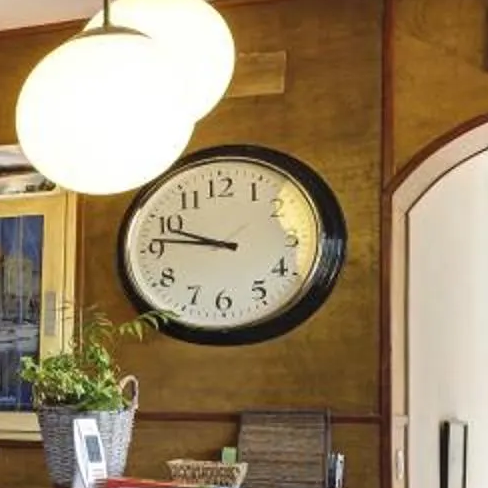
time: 9:46
